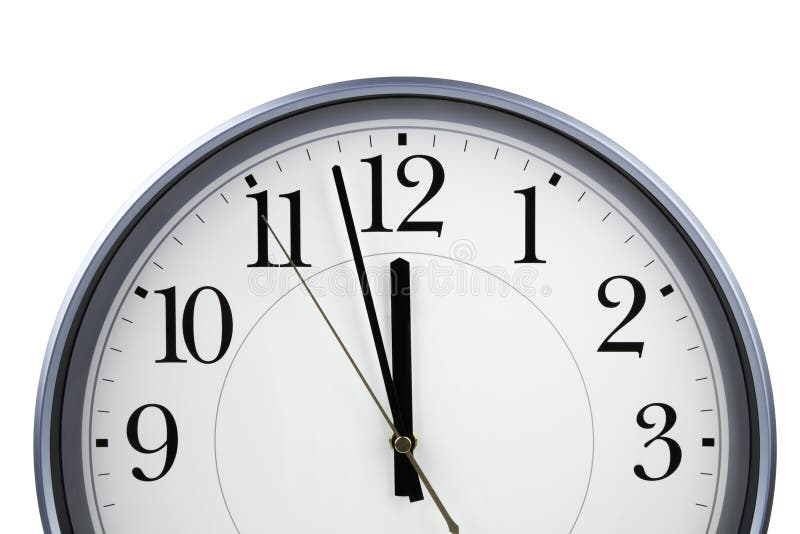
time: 11:57
